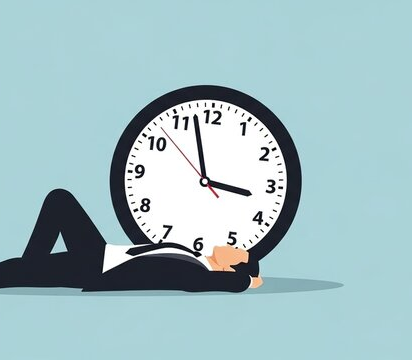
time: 2:57
